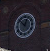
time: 12:52
